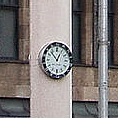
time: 12:53
